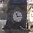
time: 11:13
